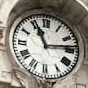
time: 11:13
